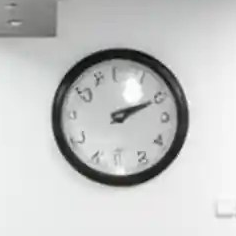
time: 2:11
